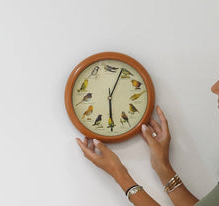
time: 6:03
